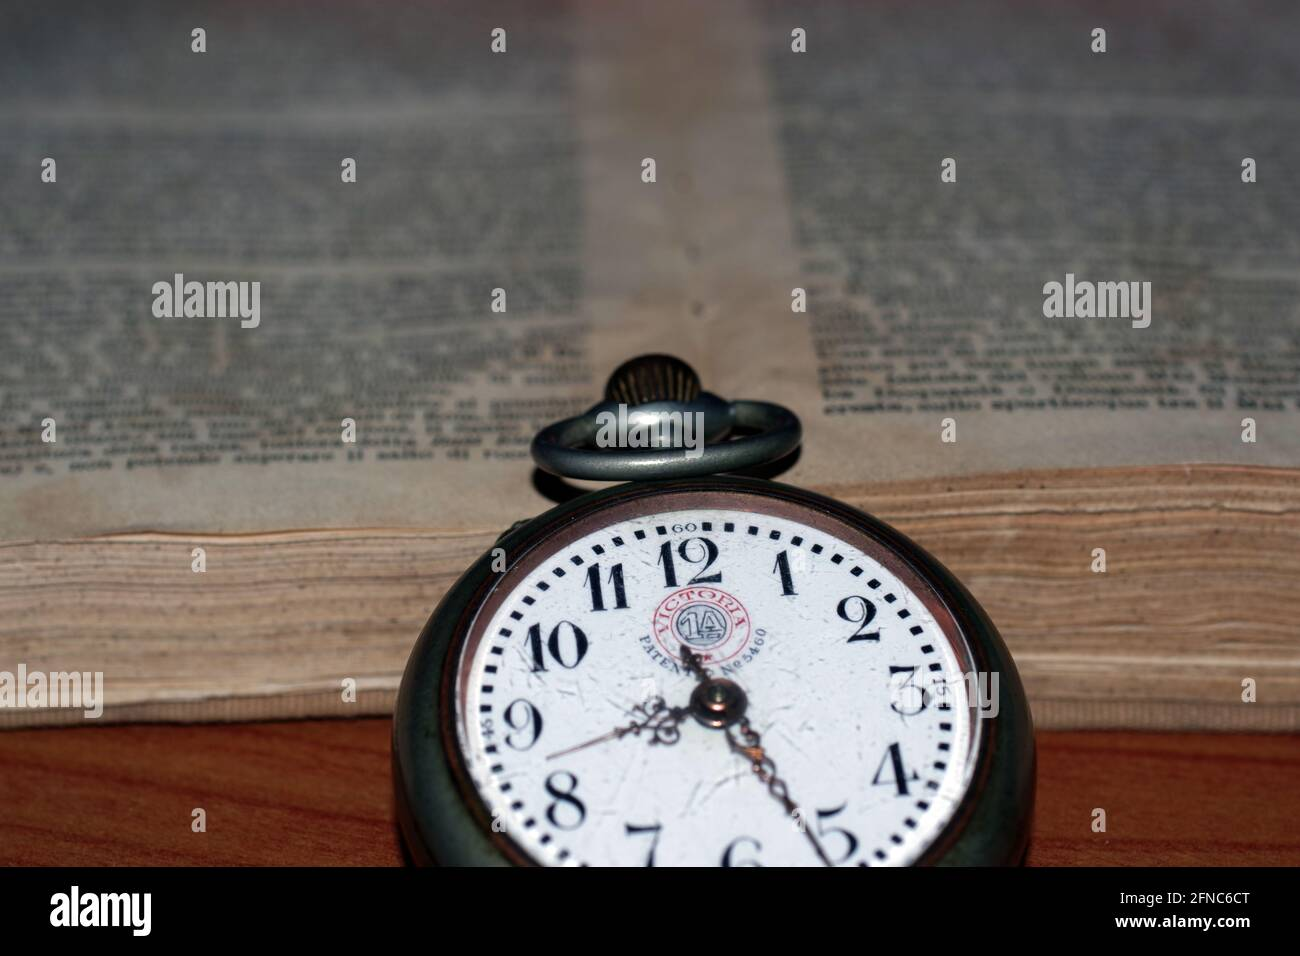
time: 8:26
